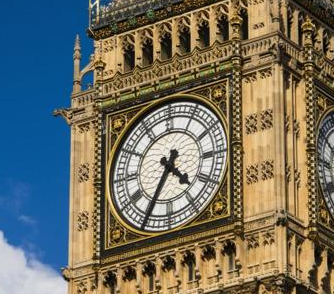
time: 4:35
